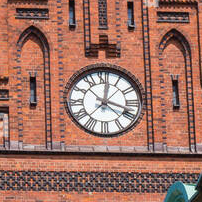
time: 12:18
